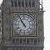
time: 10:55
